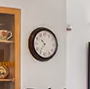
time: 10:35
